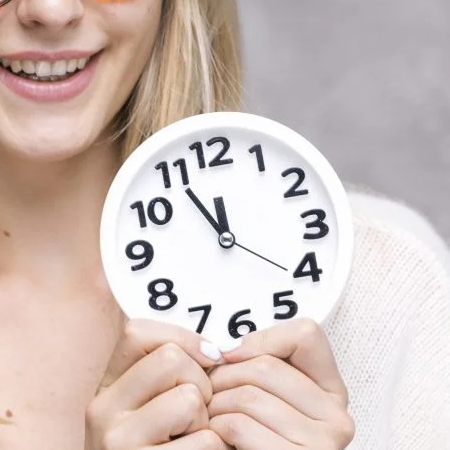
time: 11:55
